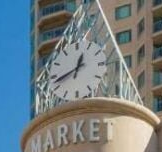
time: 12:42
